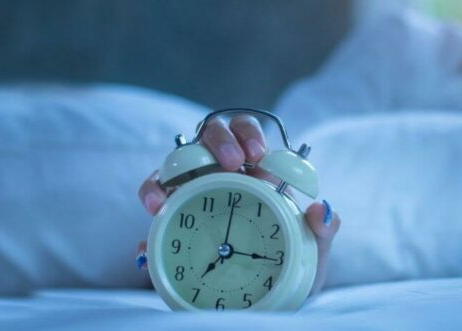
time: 7:15
